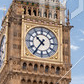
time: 10:35
